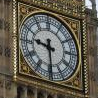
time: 9:29
